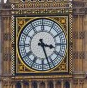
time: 3:26
